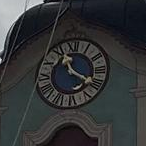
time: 11:20
